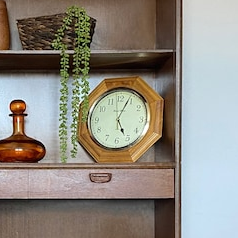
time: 5:04
